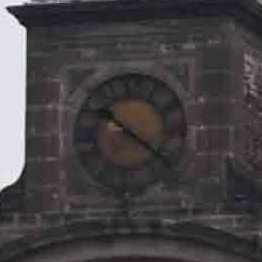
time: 10:21
